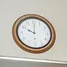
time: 10:00
